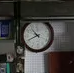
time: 10:41
